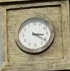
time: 3:21
